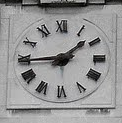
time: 1:44
